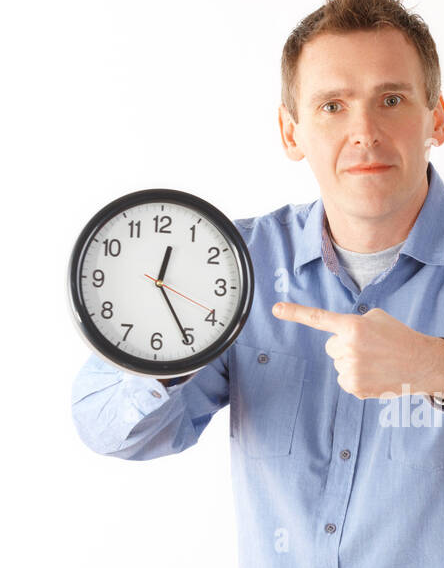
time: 12:25
